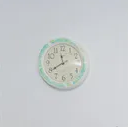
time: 11:39
